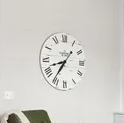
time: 8:36
